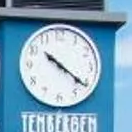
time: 10:21
